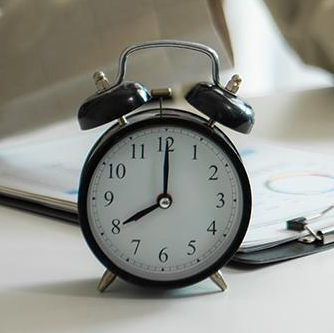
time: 8:00
